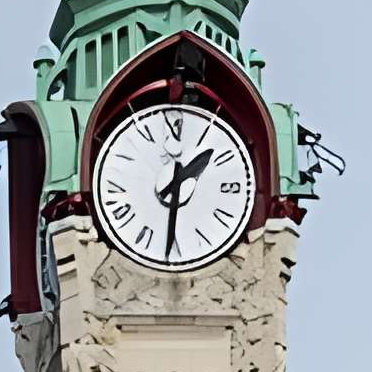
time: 1:30
